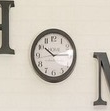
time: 10:14
